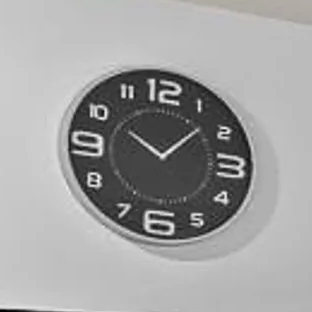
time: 10:07
